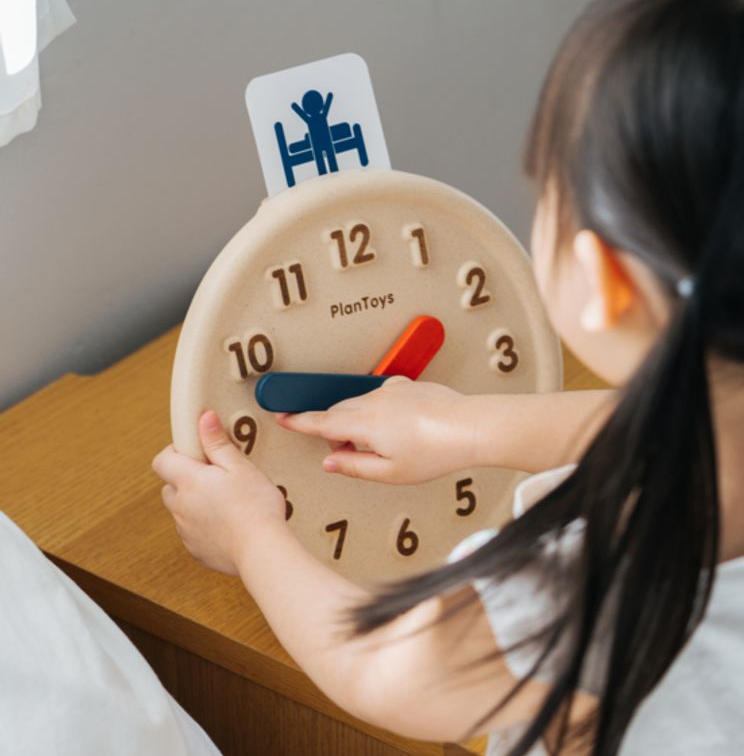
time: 1:47
